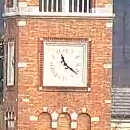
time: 11:21
